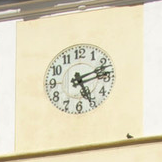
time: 5:12
